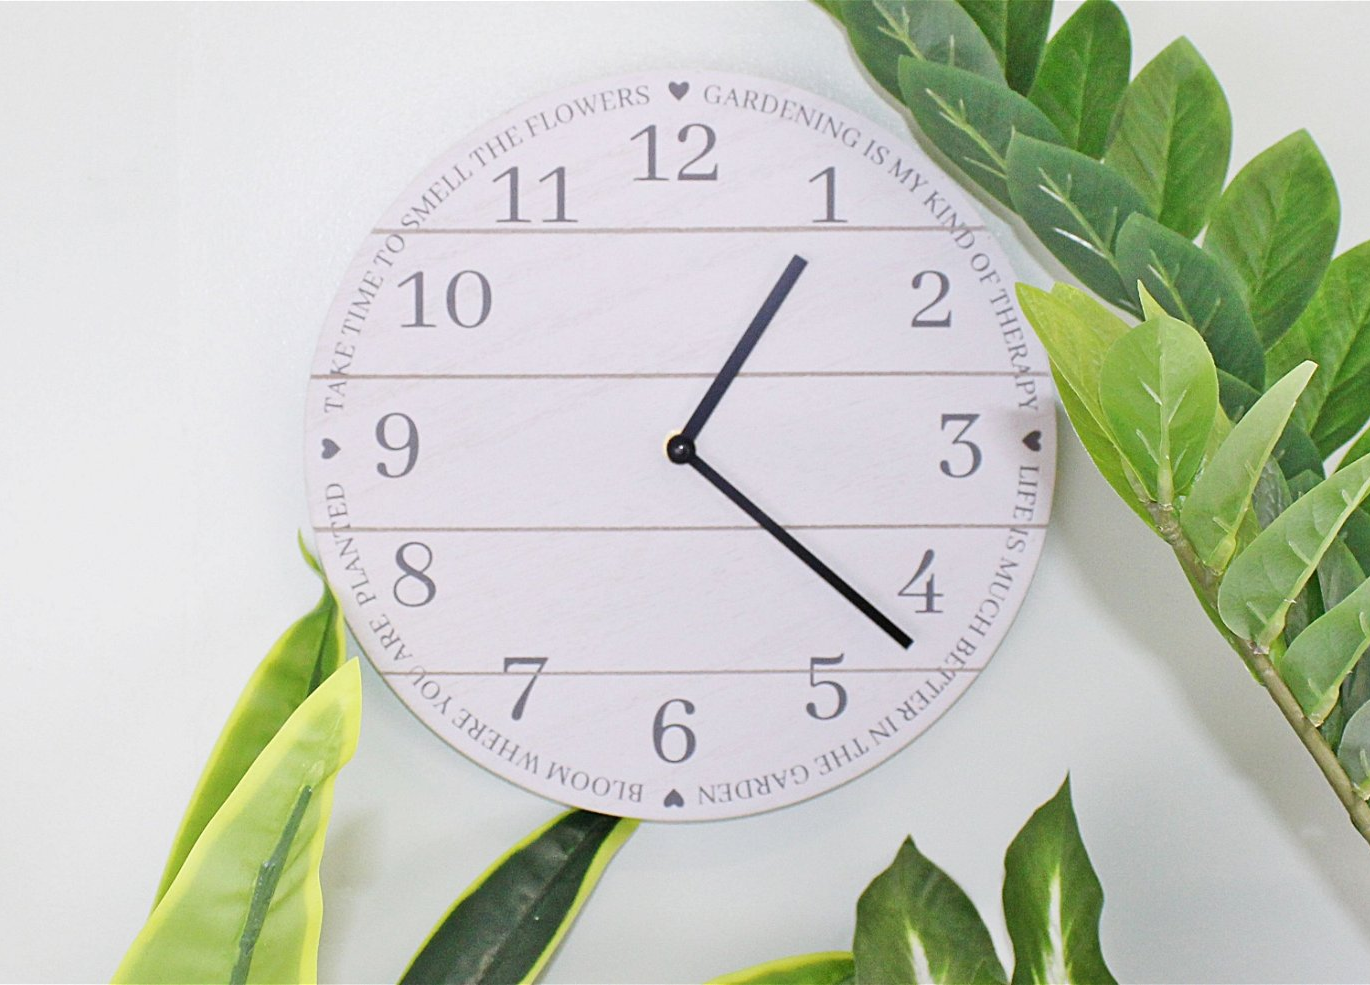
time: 1:21
